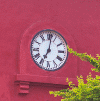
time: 7:01
